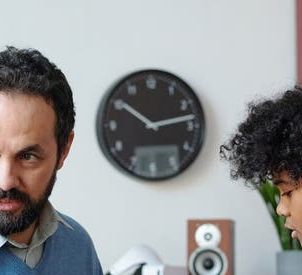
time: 10:12
